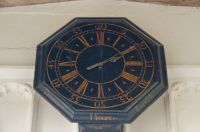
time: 2:09
